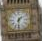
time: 1:31
